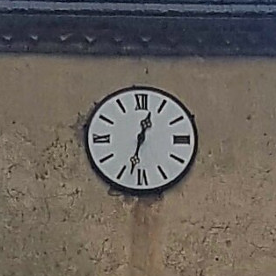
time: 12:32
